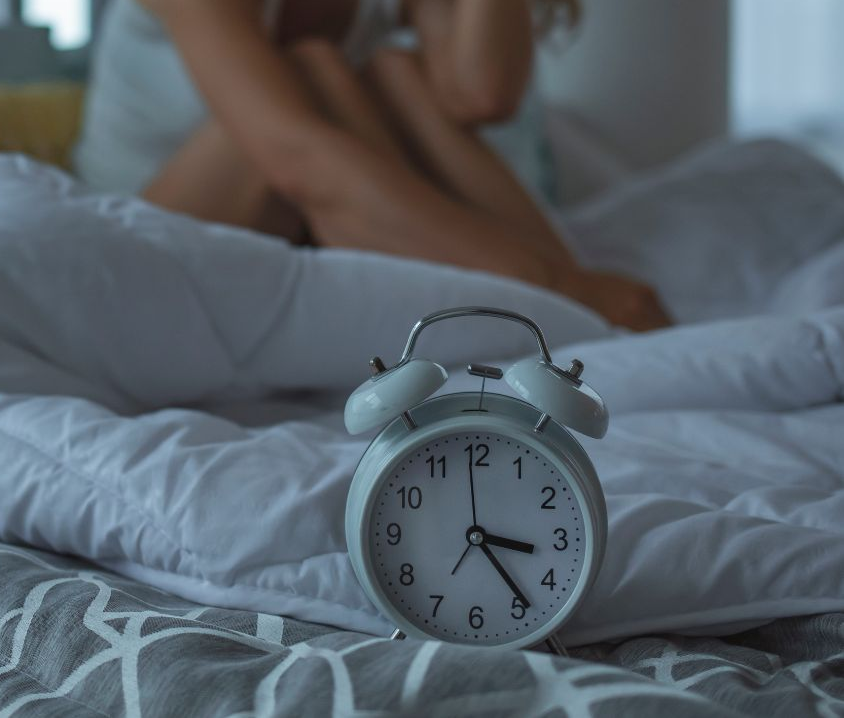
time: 3:23
